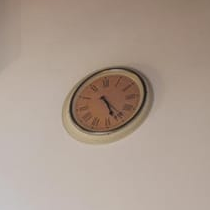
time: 5:24
